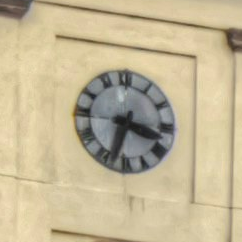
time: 3:32
